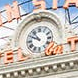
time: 9:53
